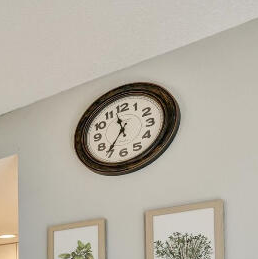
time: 11:35
